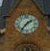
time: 1:36
